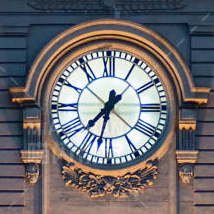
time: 7:32
